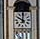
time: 10:00
